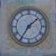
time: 1:35
